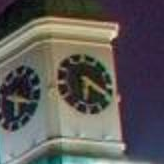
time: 6:20
